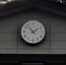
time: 1:52
